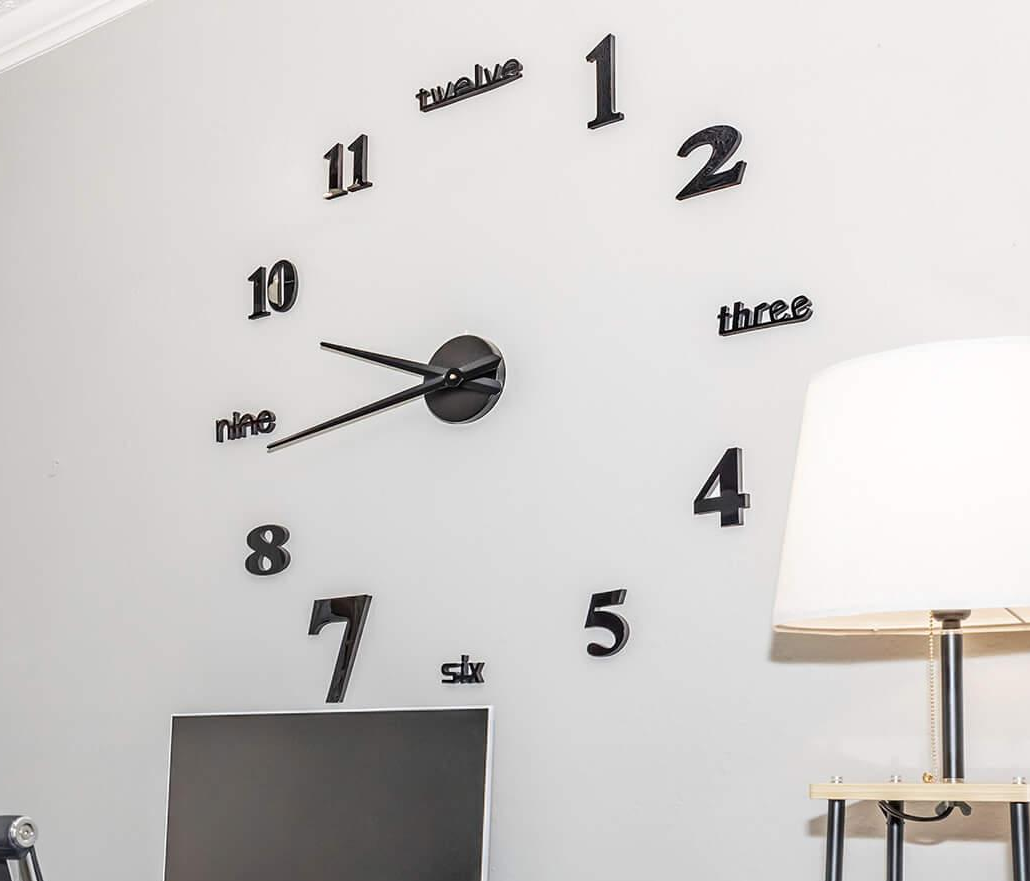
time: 9:43
